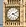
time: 4:10
